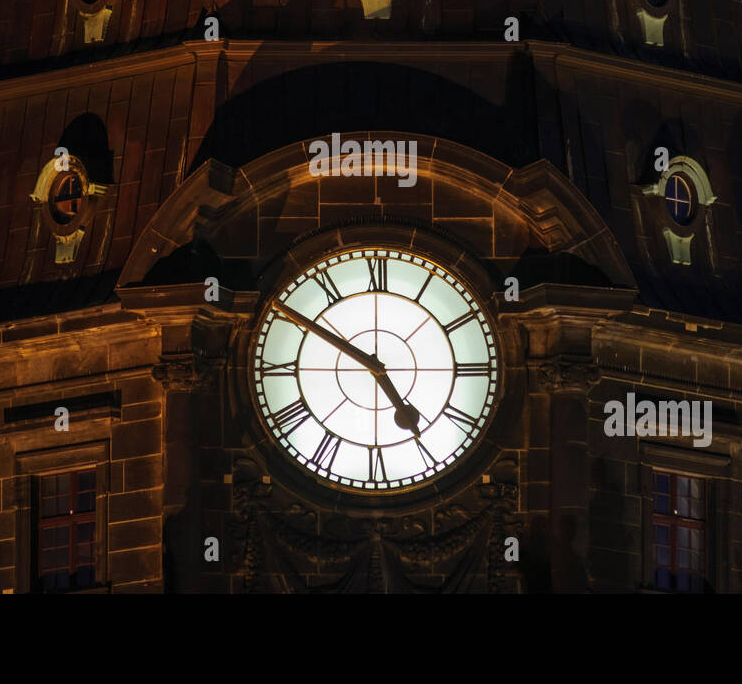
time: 4:50
